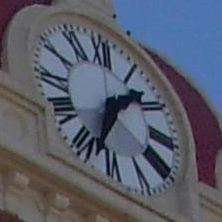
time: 1:33
